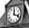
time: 12:18
